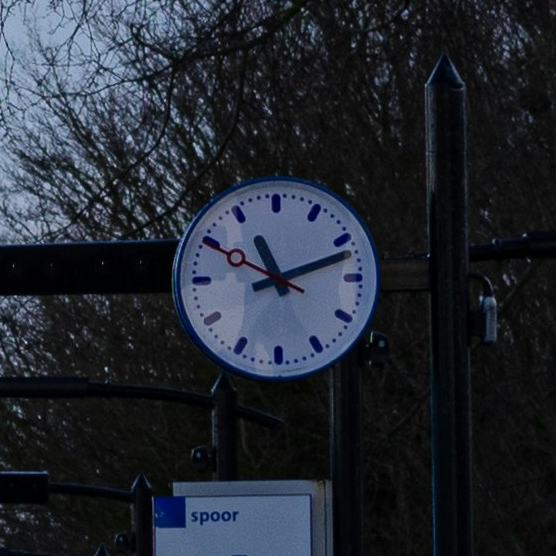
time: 11:11
